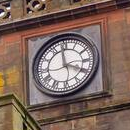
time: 3:58
